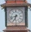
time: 6:42
